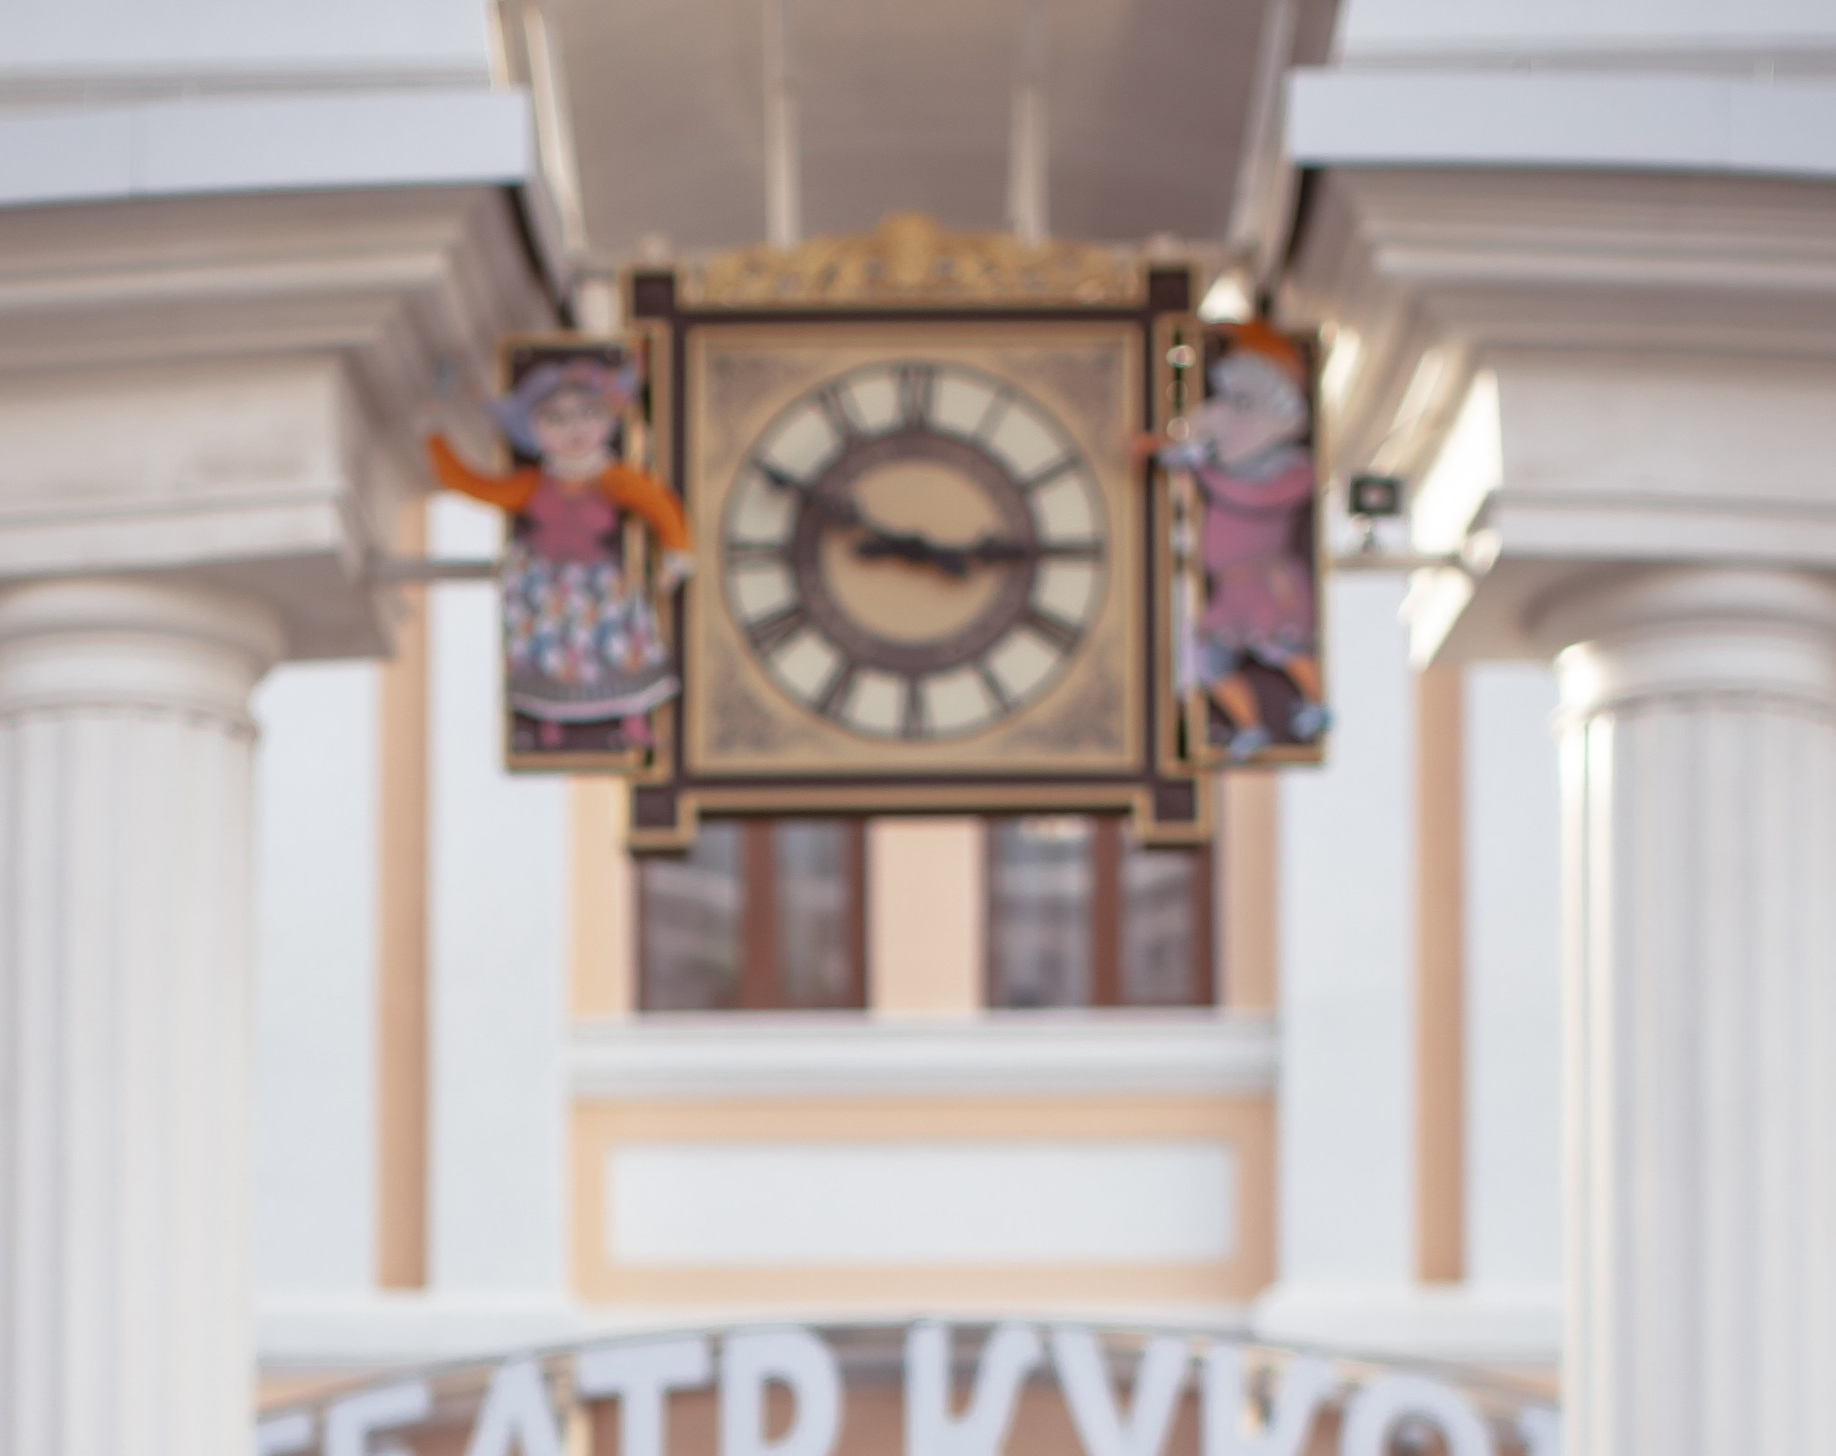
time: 9:14
